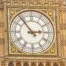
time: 2:53
